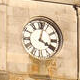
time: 4:02
